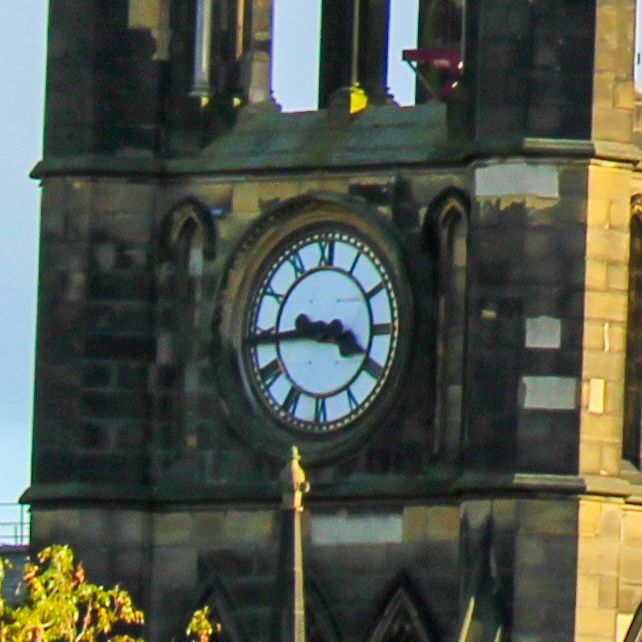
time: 3:44
